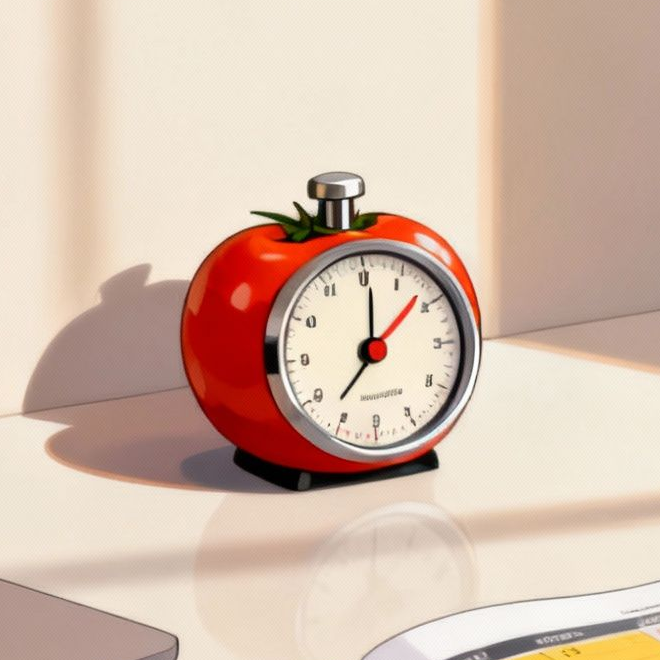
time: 7:01
